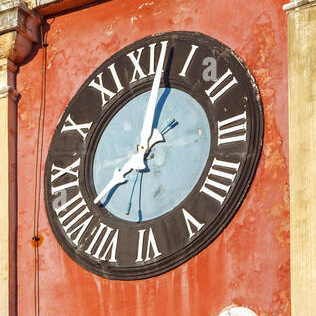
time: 8:02
